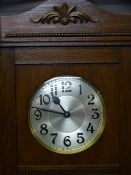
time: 10:47
